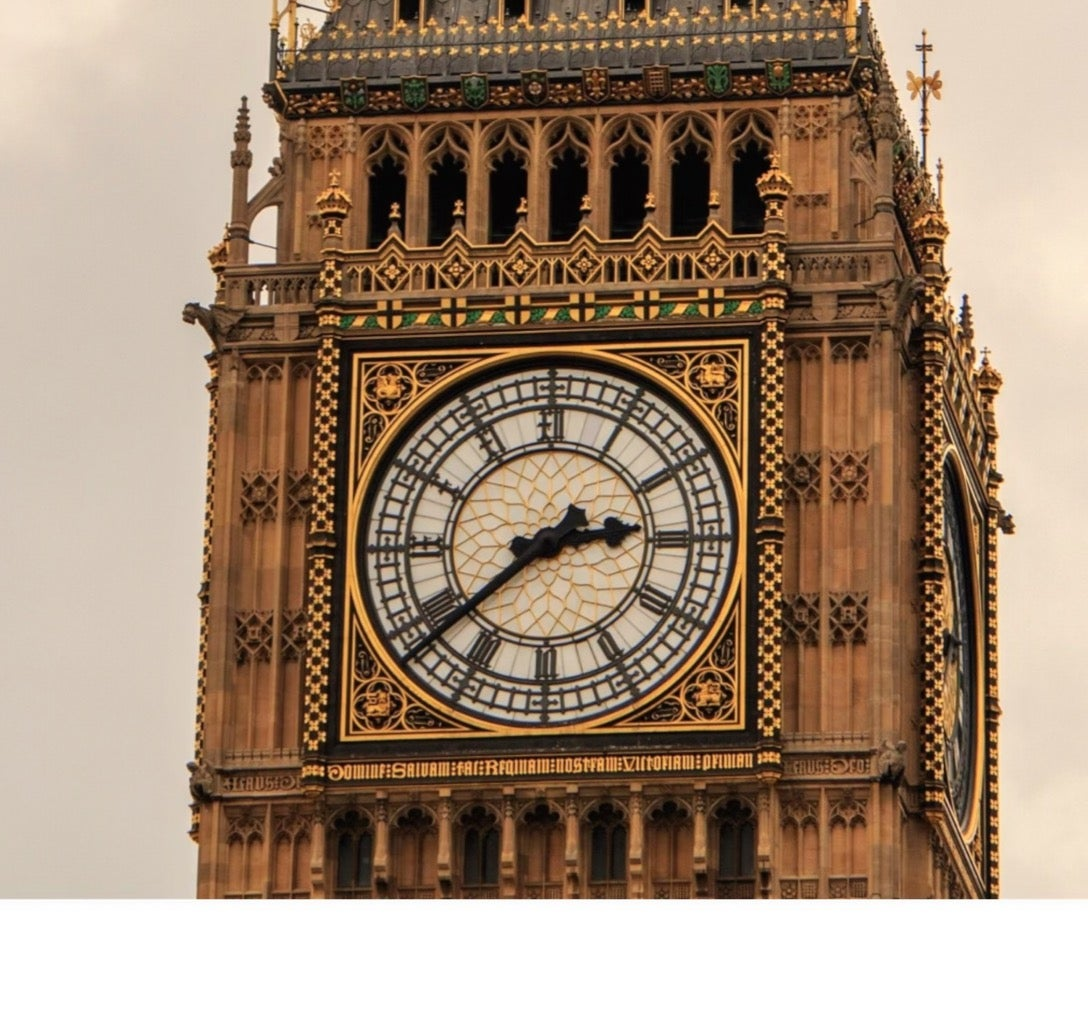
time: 2:38
